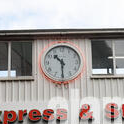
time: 10:30
